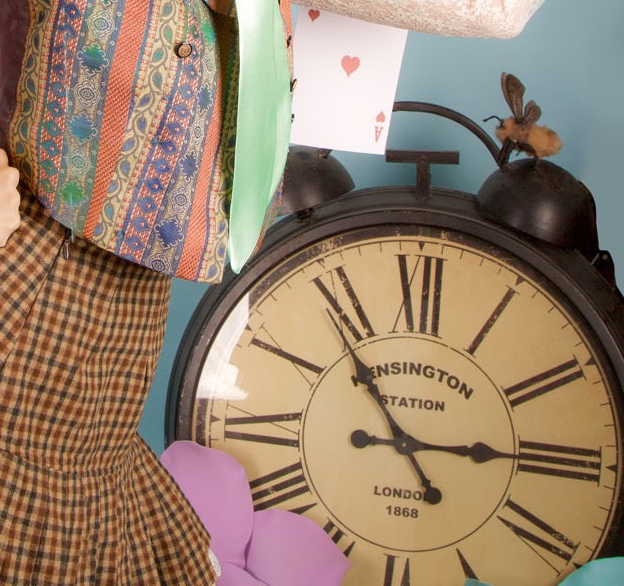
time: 2:53
